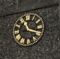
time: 11:17
